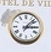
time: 3:07
